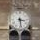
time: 3:28
